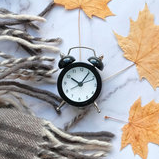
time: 10:06
